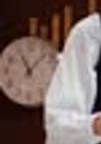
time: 11:07
